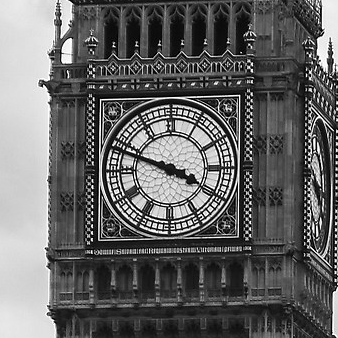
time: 3:47
